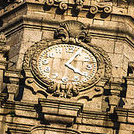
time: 4:04
